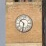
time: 10:32
